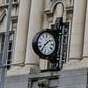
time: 1:35
